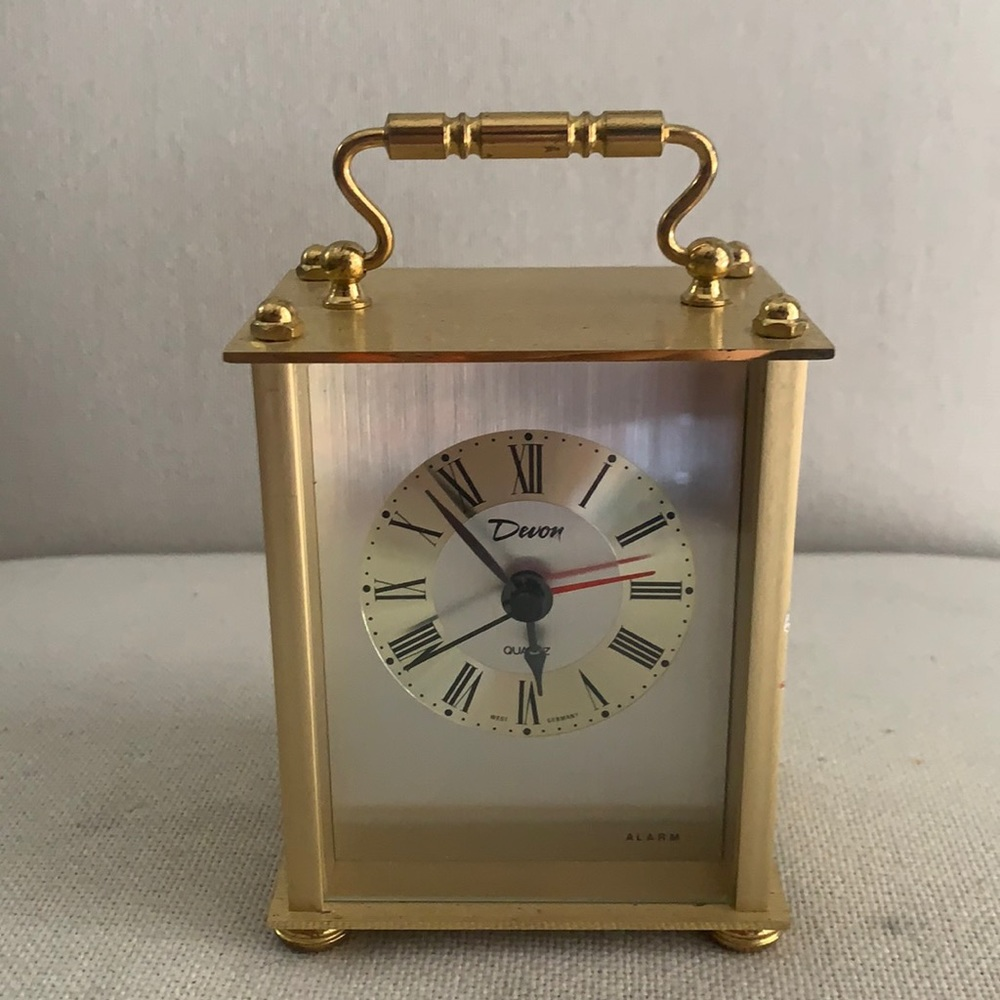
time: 5:53
